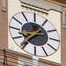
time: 8:36
